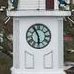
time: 5:55
